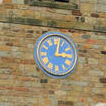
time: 3:02
